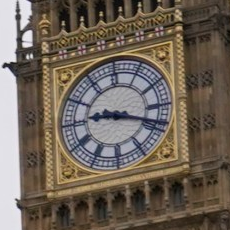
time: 9:18
